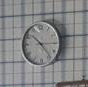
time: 10:23
